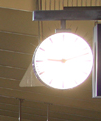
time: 9:12
